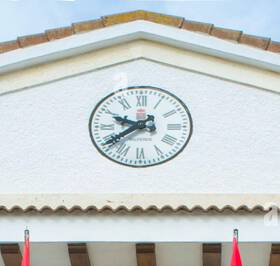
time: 9:39
